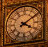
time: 4:09
